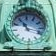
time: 11:17
